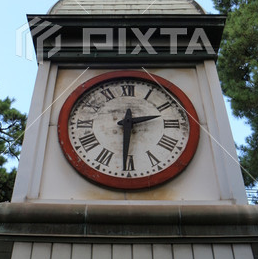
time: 2:30
